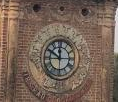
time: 11:50
